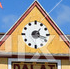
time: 1:18
